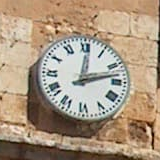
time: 12:12
